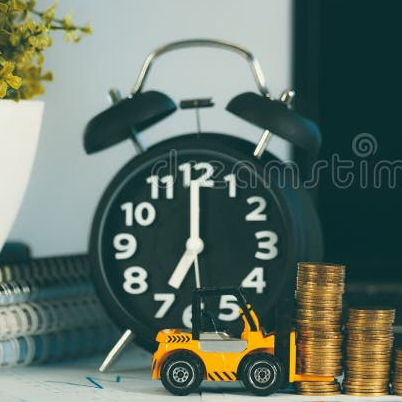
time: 7:00
